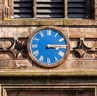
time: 3:14
